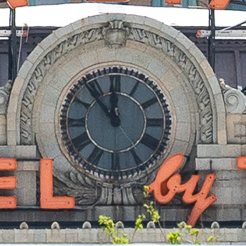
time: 11:53
